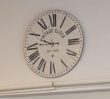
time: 9:45
